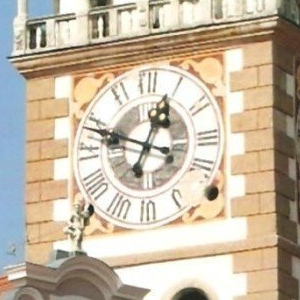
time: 12:48
